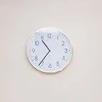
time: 10:36
